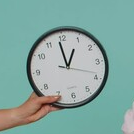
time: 12:58
